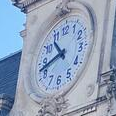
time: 10:42
